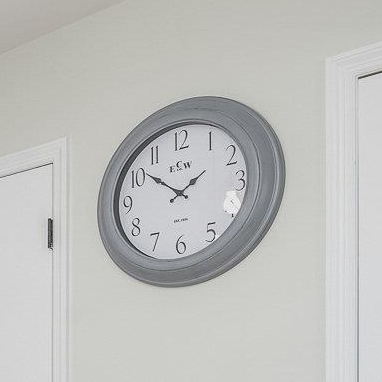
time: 1:51
